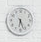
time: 6:26
